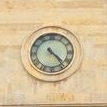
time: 4:23
